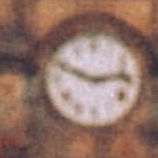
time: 2:48
